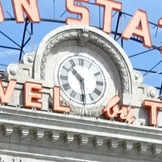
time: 10:29
